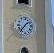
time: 1:36
